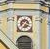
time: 7:18
